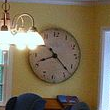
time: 8:22
